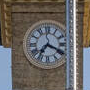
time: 7:18
